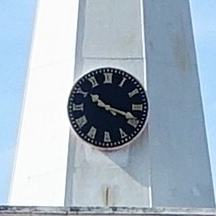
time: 10:18
